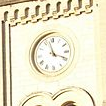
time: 3:57
